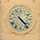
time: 4:22
